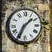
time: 1:34
